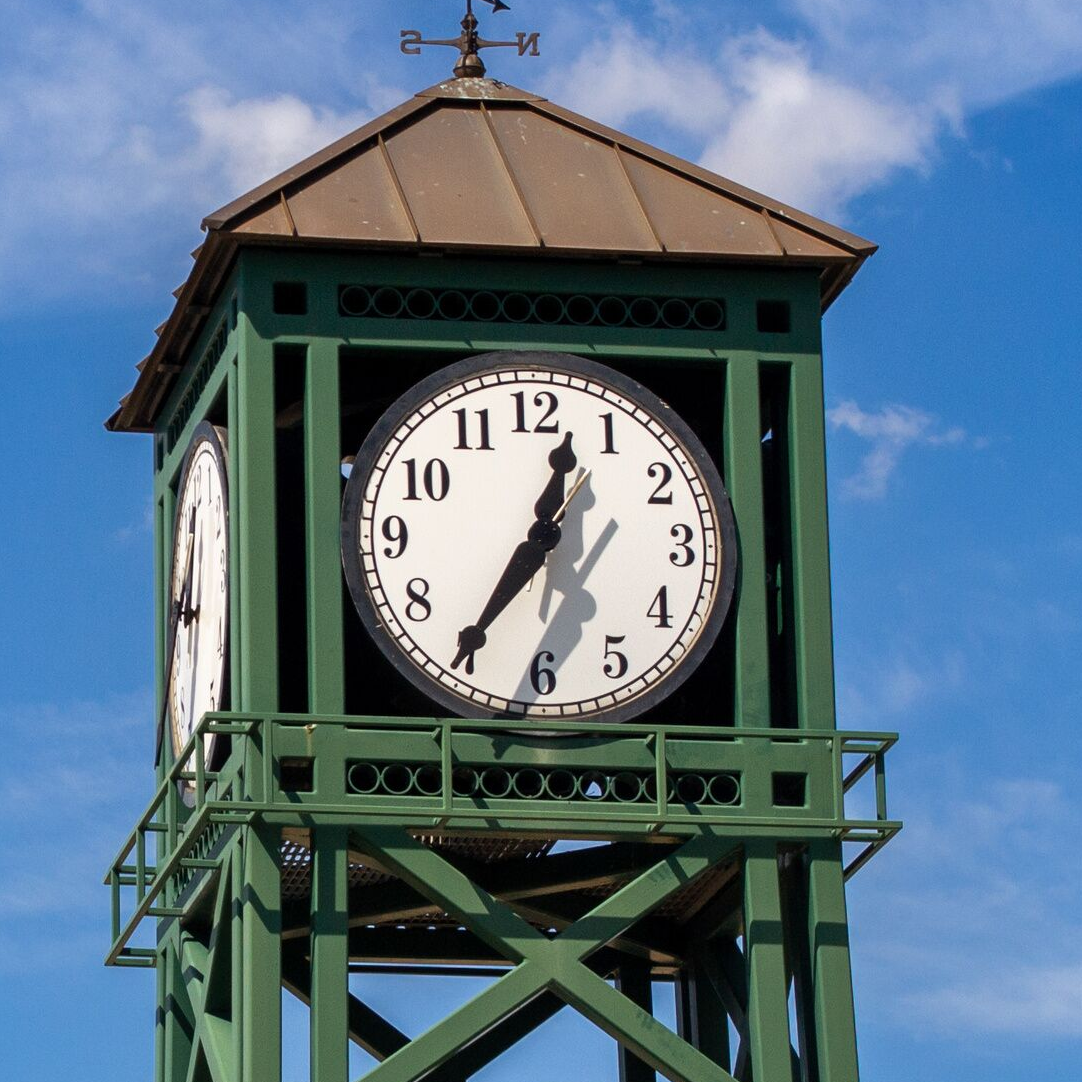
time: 12:35
